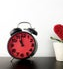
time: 10:58
